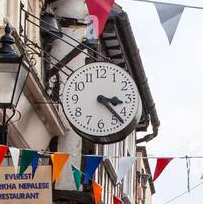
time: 3:23
